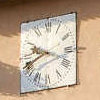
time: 9:41
